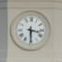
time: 3:29
